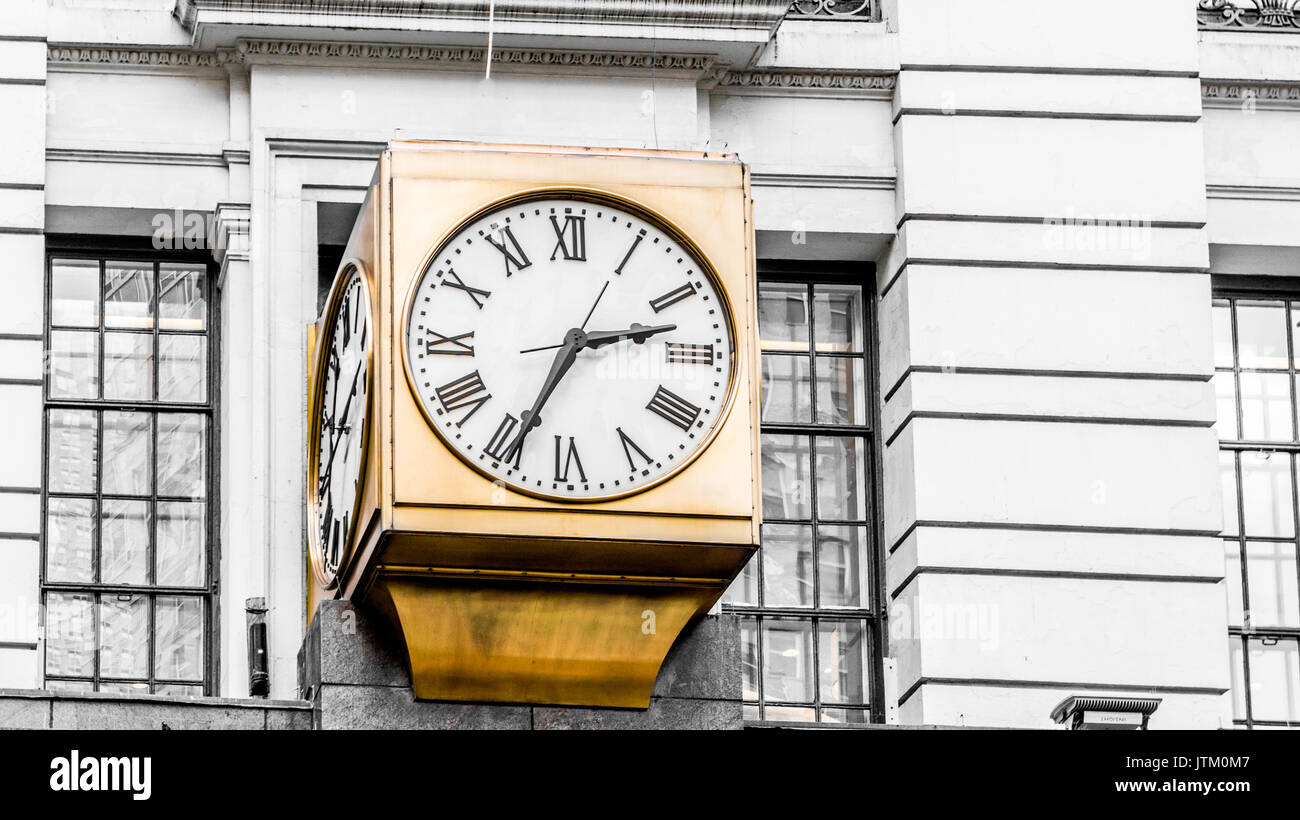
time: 2:34
